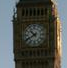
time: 10:40
